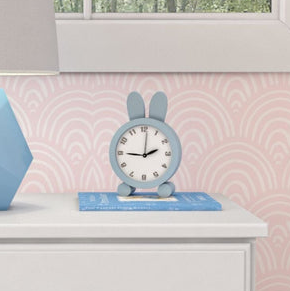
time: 2:01
